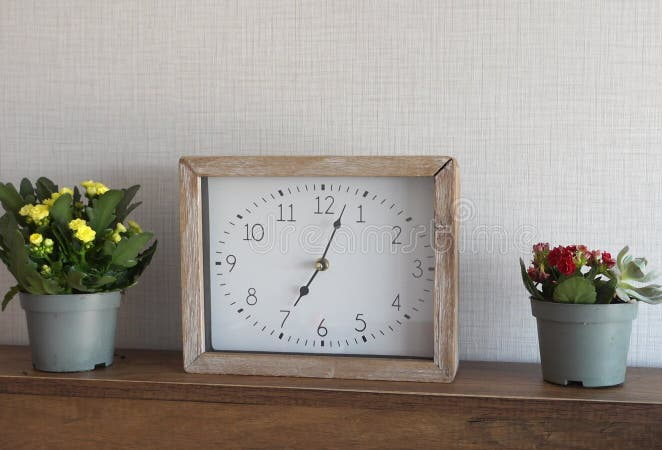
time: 7:03
